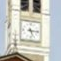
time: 5:15
